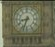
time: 8:33
